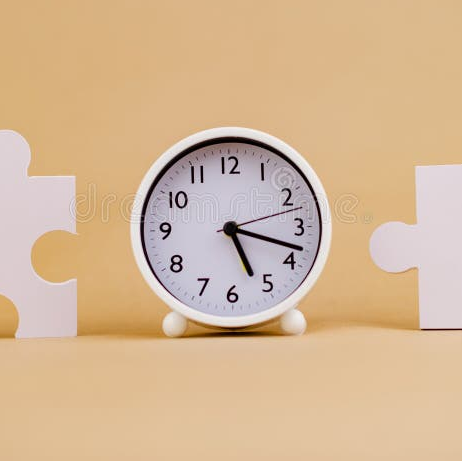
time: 5:18
